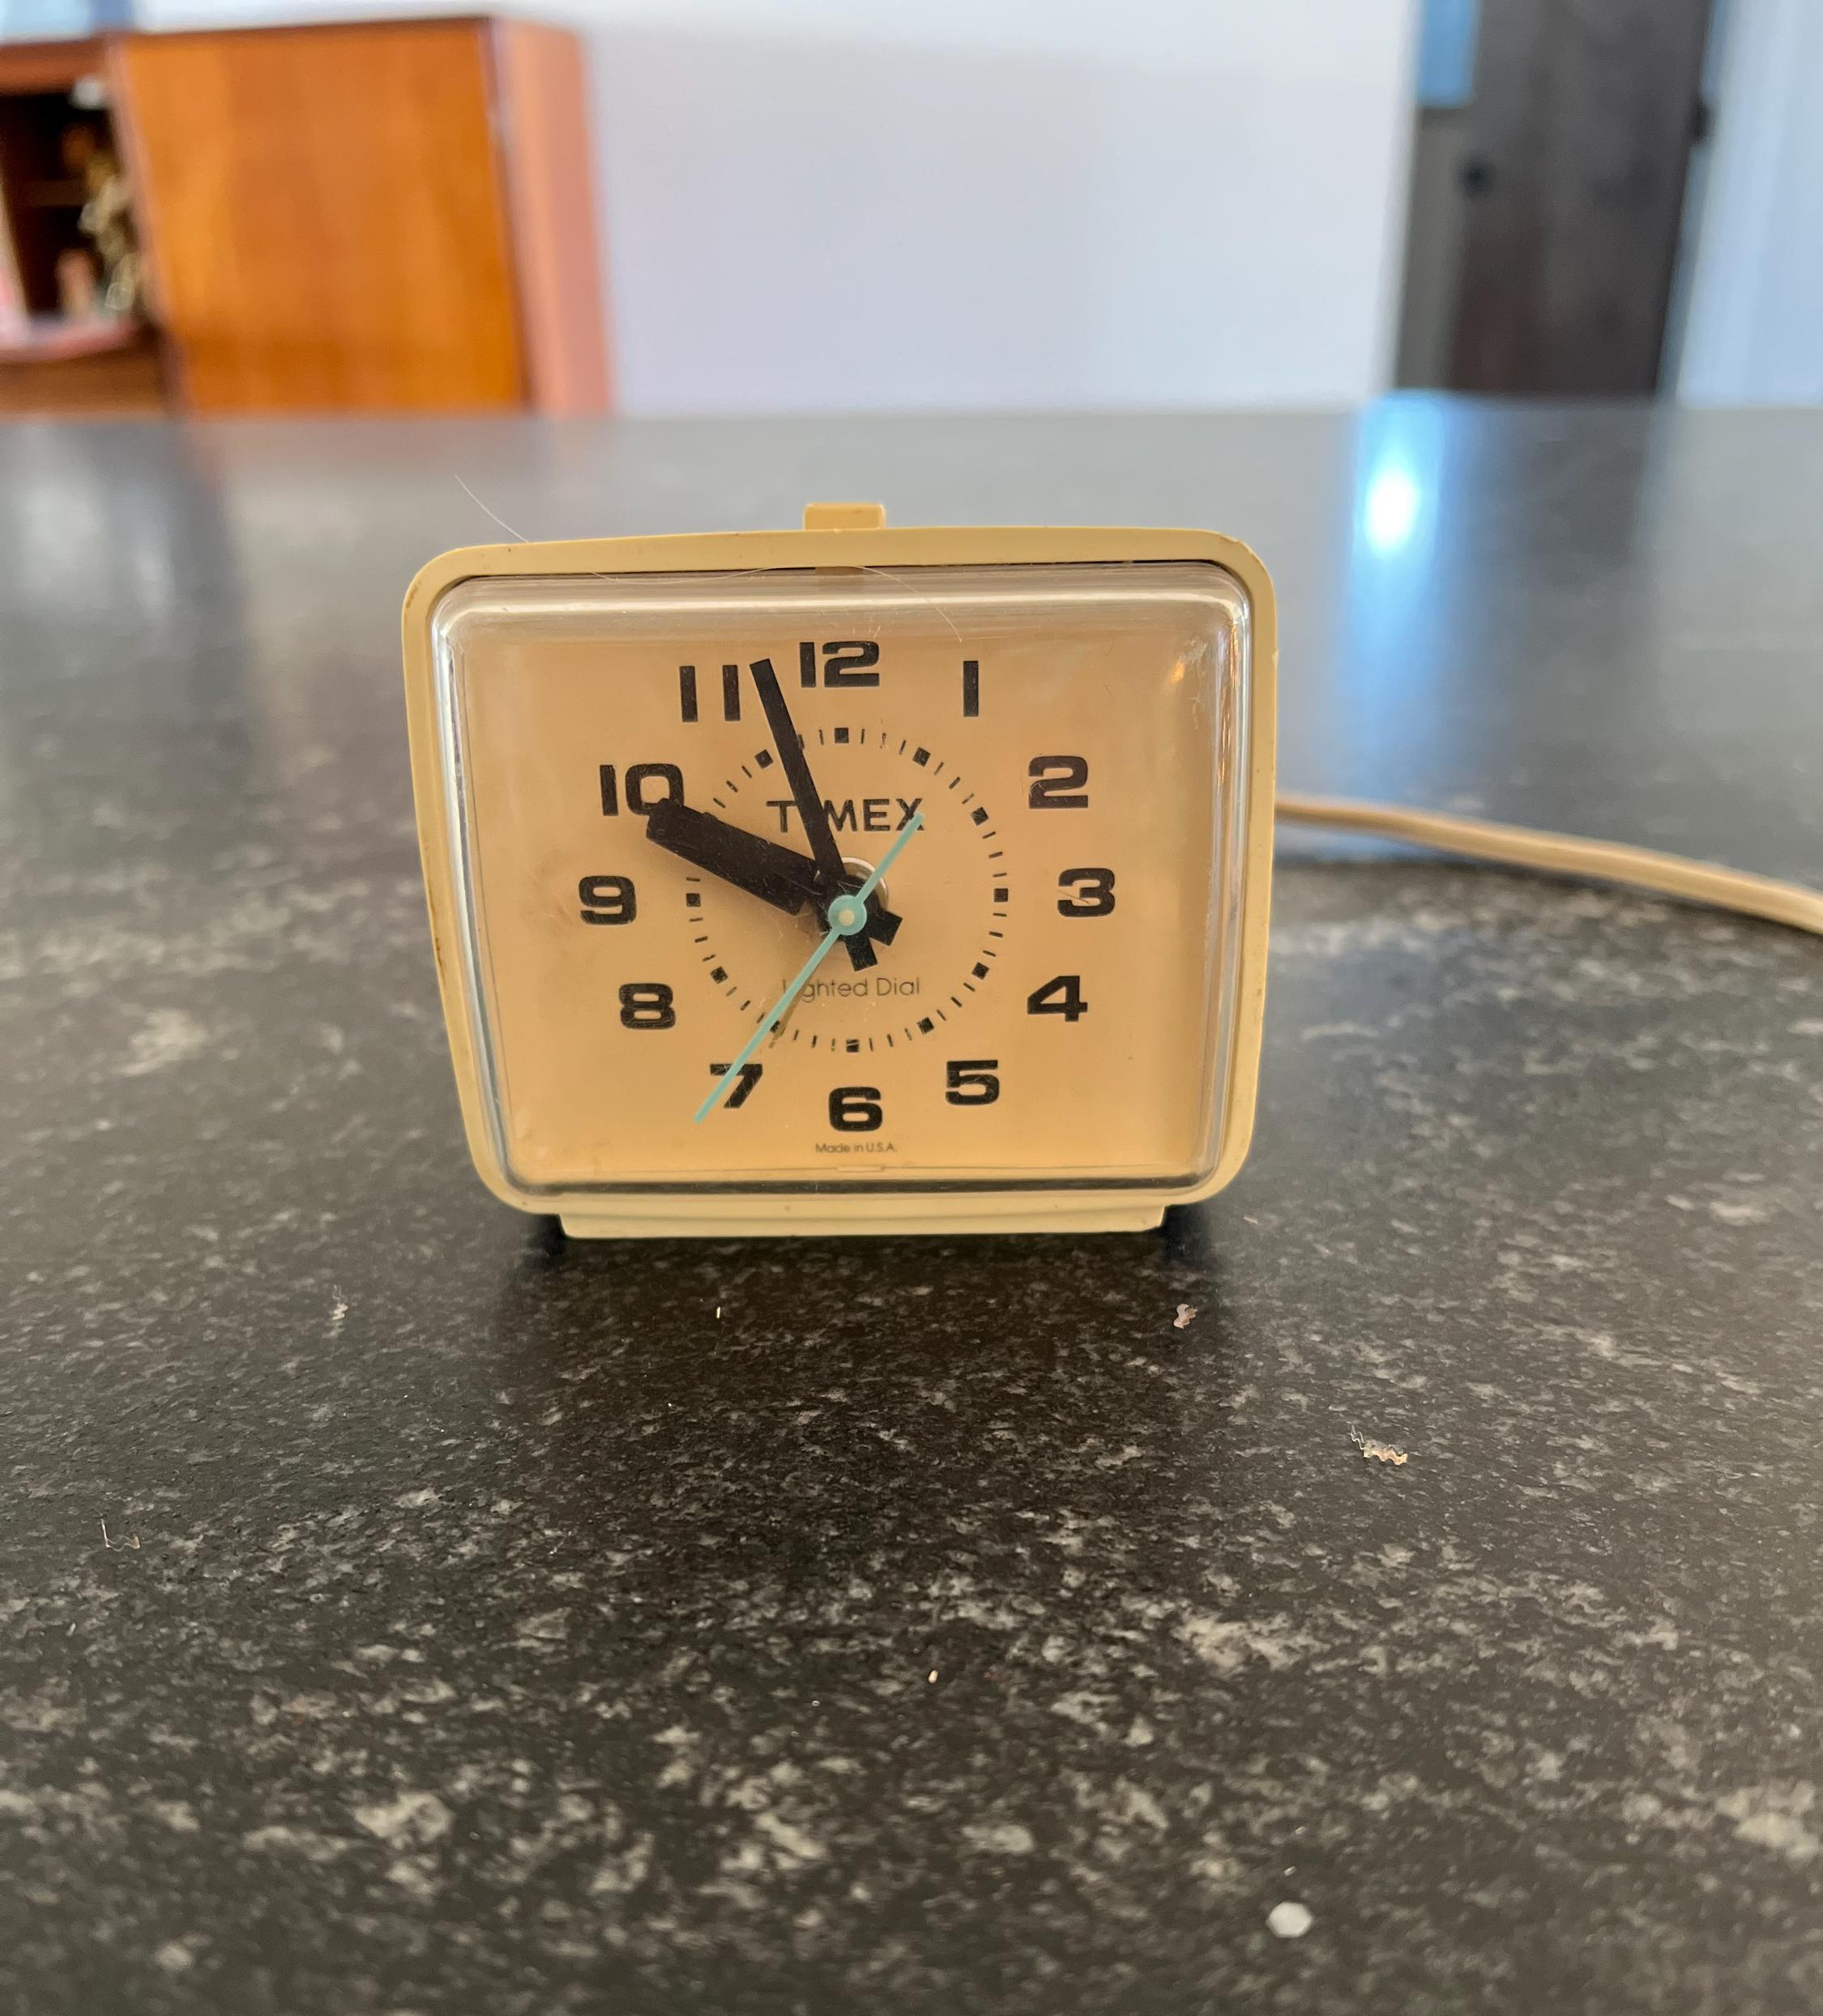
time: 9:57
